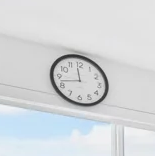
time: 11:42
